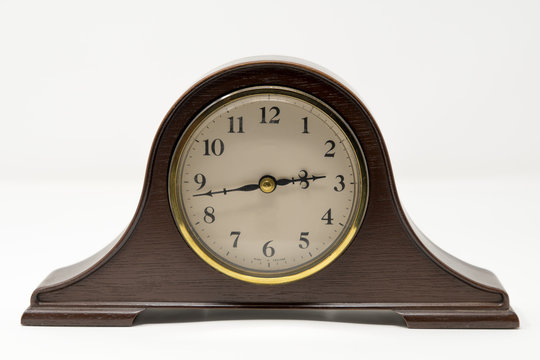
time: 2:42
